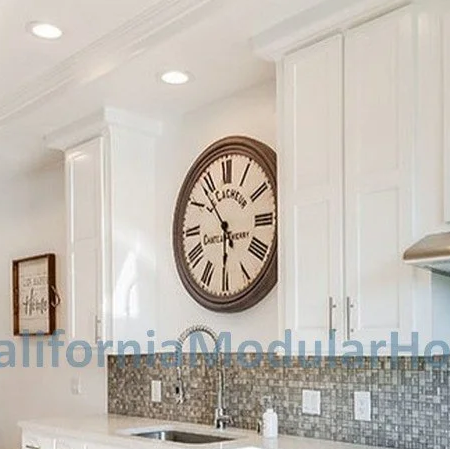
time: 5:53
